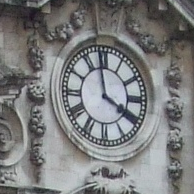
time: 3:58
